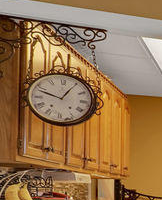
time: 12:48
